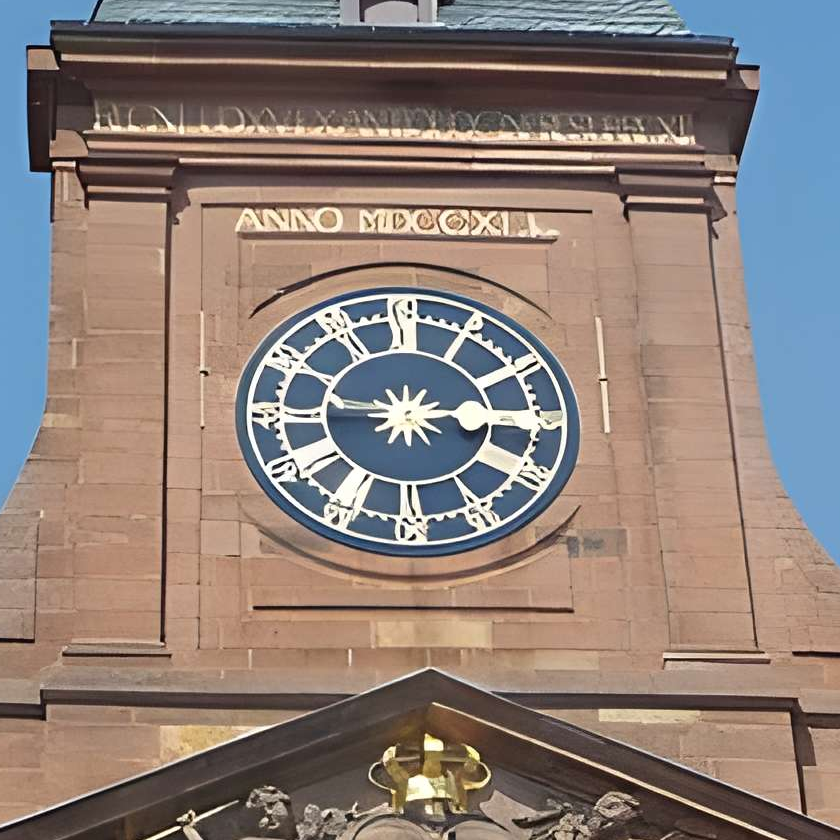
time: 9:14
